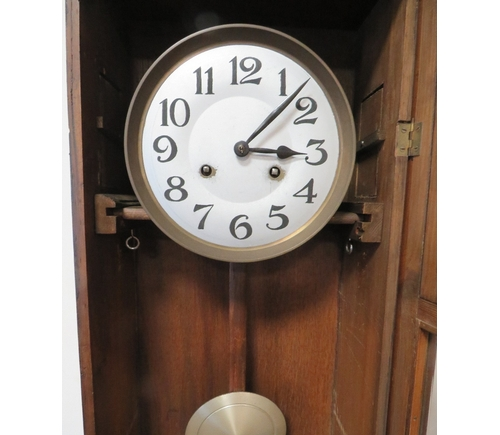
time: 3:07
